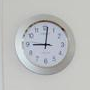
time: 9:01
